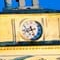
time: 8:26
